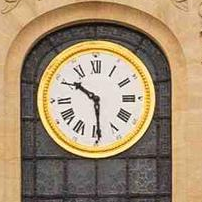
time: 10:29
